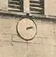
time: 2:13
